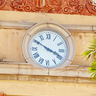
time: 3:50
